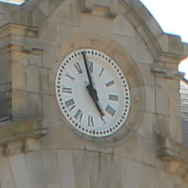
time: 4:57
